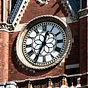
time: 12:34
